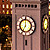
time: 7:00
